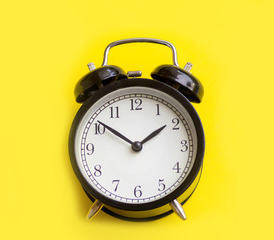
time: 1:51
